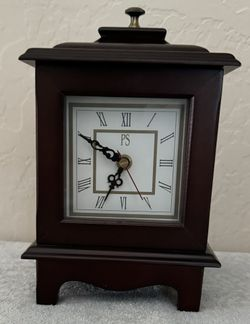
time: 6:49
